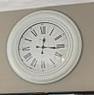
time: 12:15
